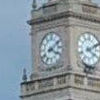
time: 4:09
